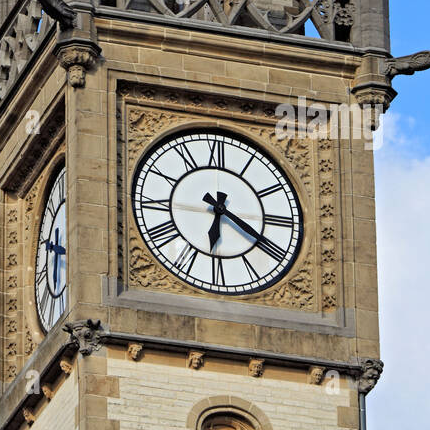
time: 6:19
